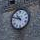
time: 10:48
